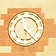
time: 5:22
